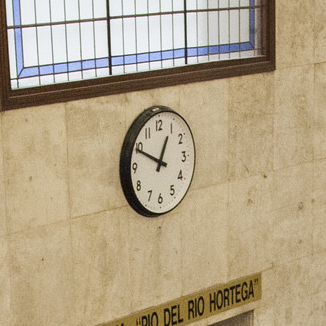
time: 12:49
